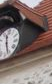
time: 11:26
